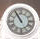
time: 10:55
